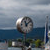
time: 11:07
